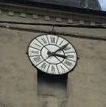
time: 3:07
